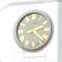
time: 2:21
